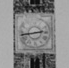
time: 2:43
